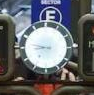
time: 8:47
